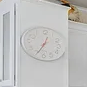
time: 12:34
